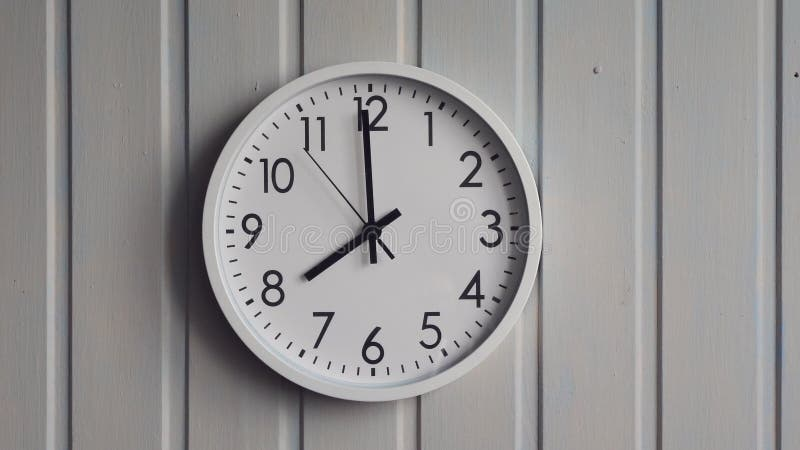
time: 7:59
